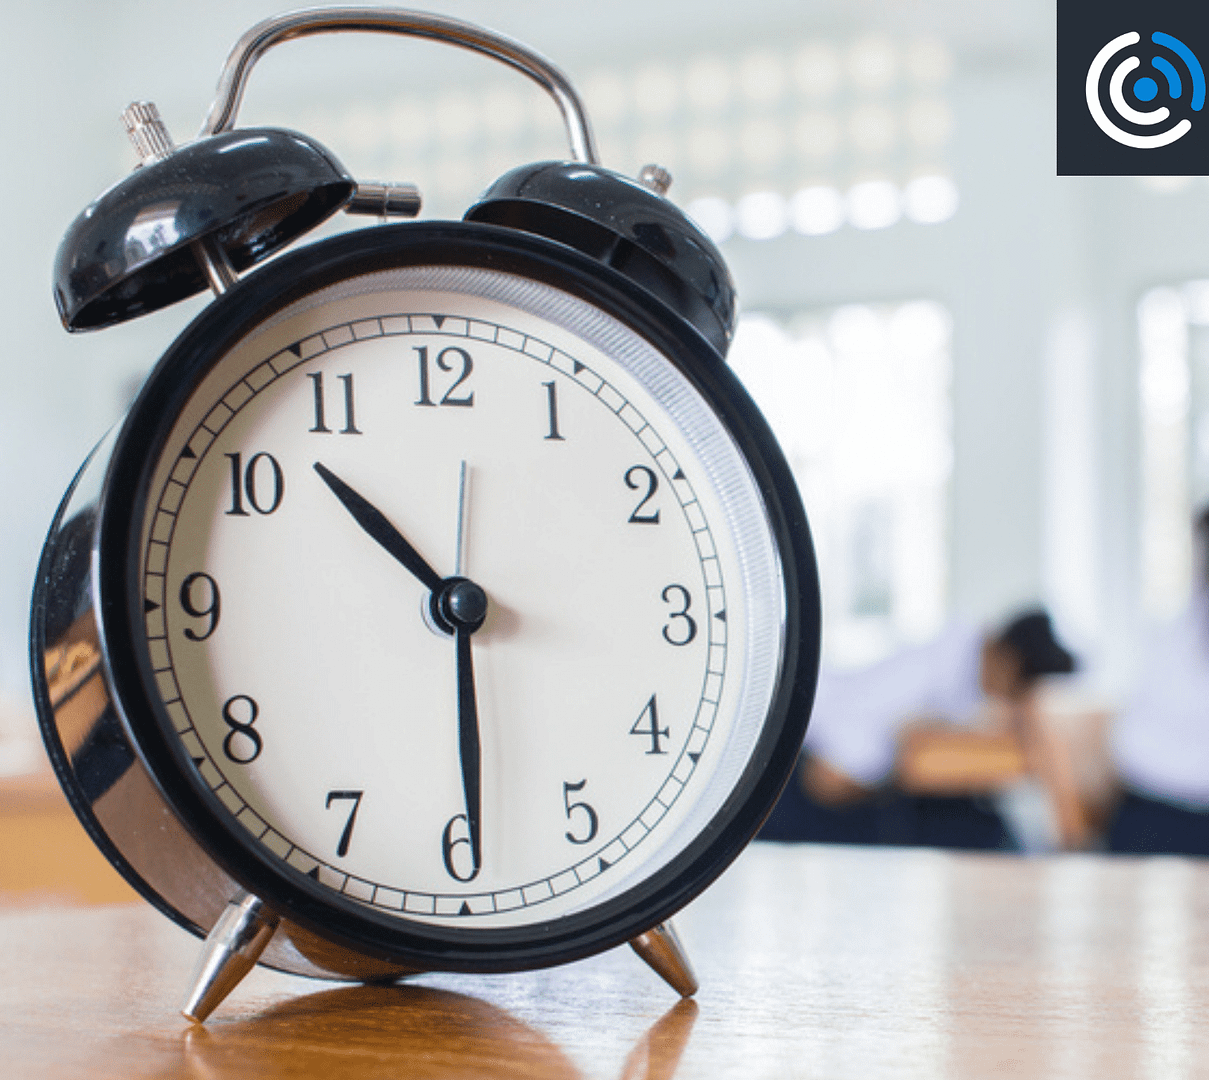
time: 10:29
